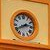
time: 2:40
